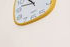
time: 10:47
